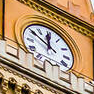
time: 11:50
